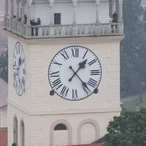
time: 1:23
